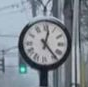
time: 12:23
